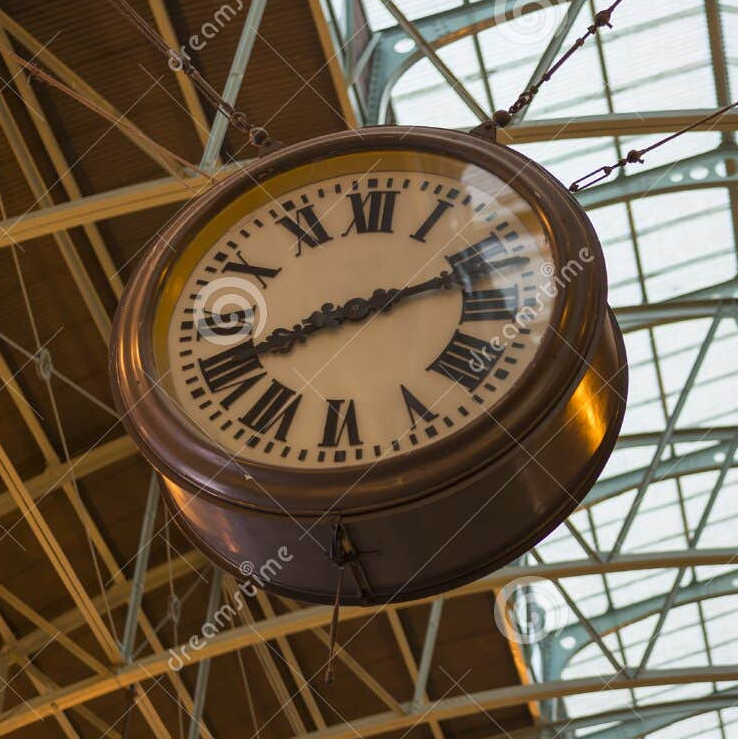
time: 8:11
